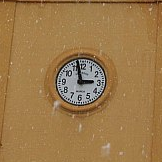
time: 2:57
